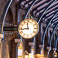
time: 11:43
